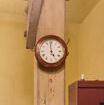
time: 4:59
